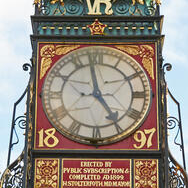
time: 4:58
